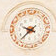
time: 9:38
